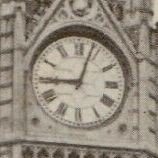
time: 9:03
